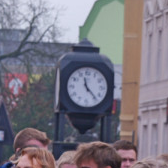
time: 11:22
